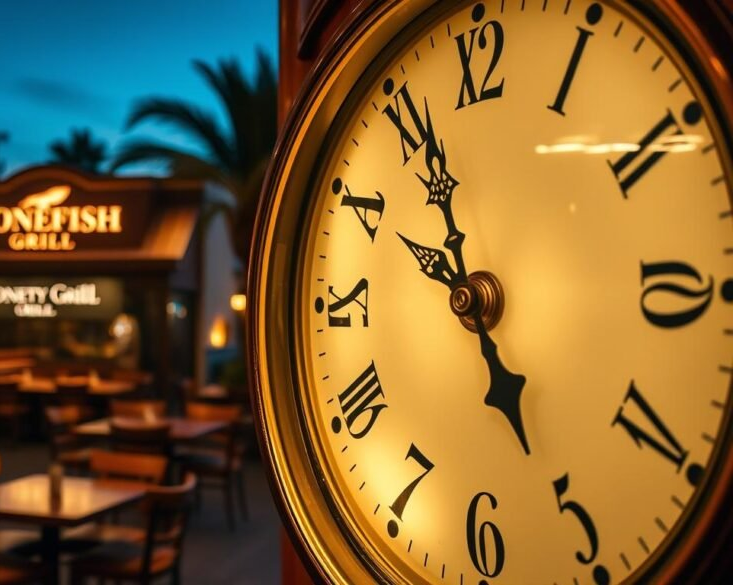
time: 4:56
